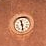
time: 11:28
